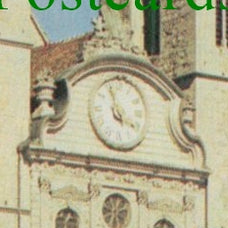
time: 3:57
